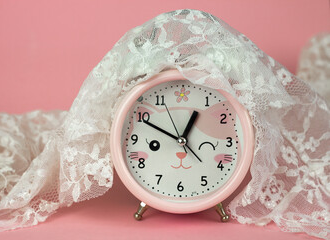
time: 12:49
